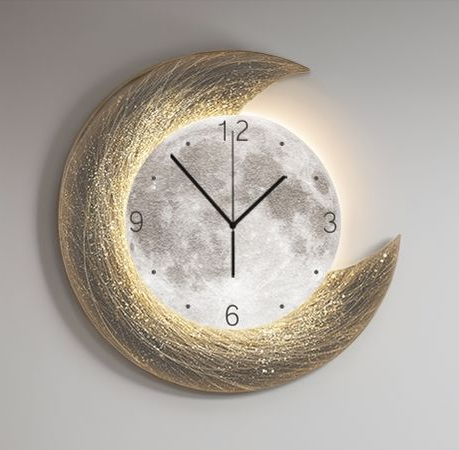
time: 1:53
